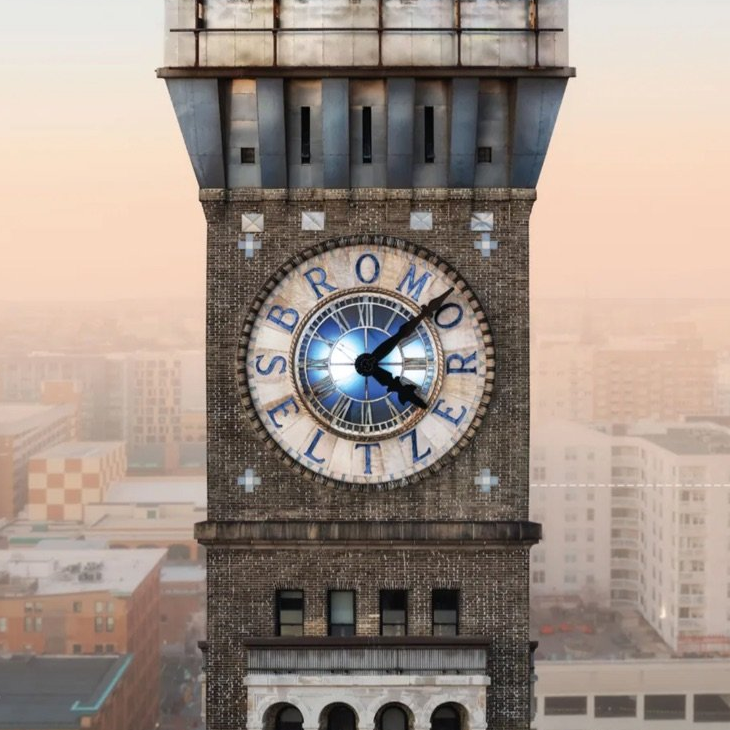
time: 4:08
